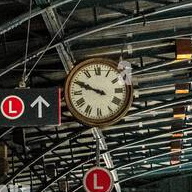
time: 9:49
